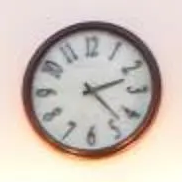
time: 2:22
